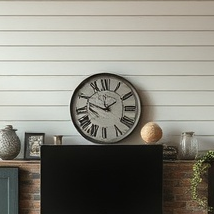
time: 1:47
